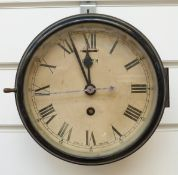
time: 11:56
